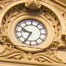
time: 9:34
